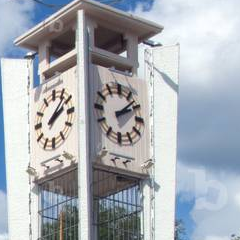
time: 2:07
